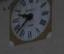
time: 9:37
